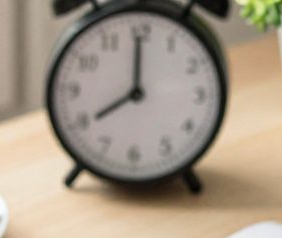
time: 7:59
